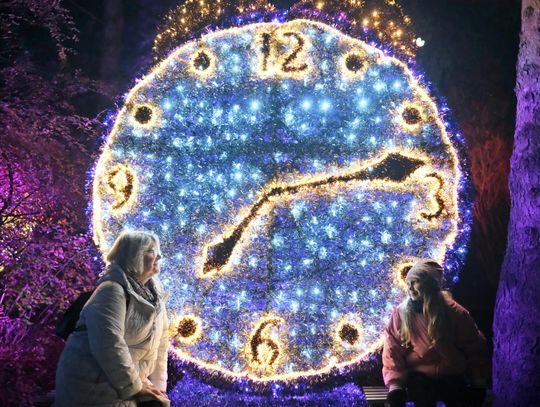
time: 7:12
